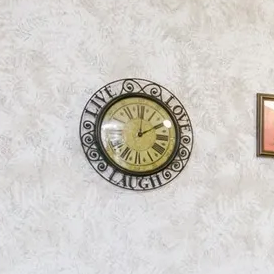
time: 2:01
